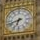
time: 6:41
